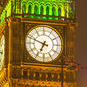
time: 6:48
